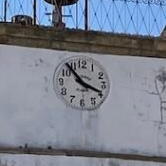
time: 3:53
